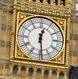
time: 12:28
